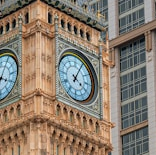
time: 4:04
